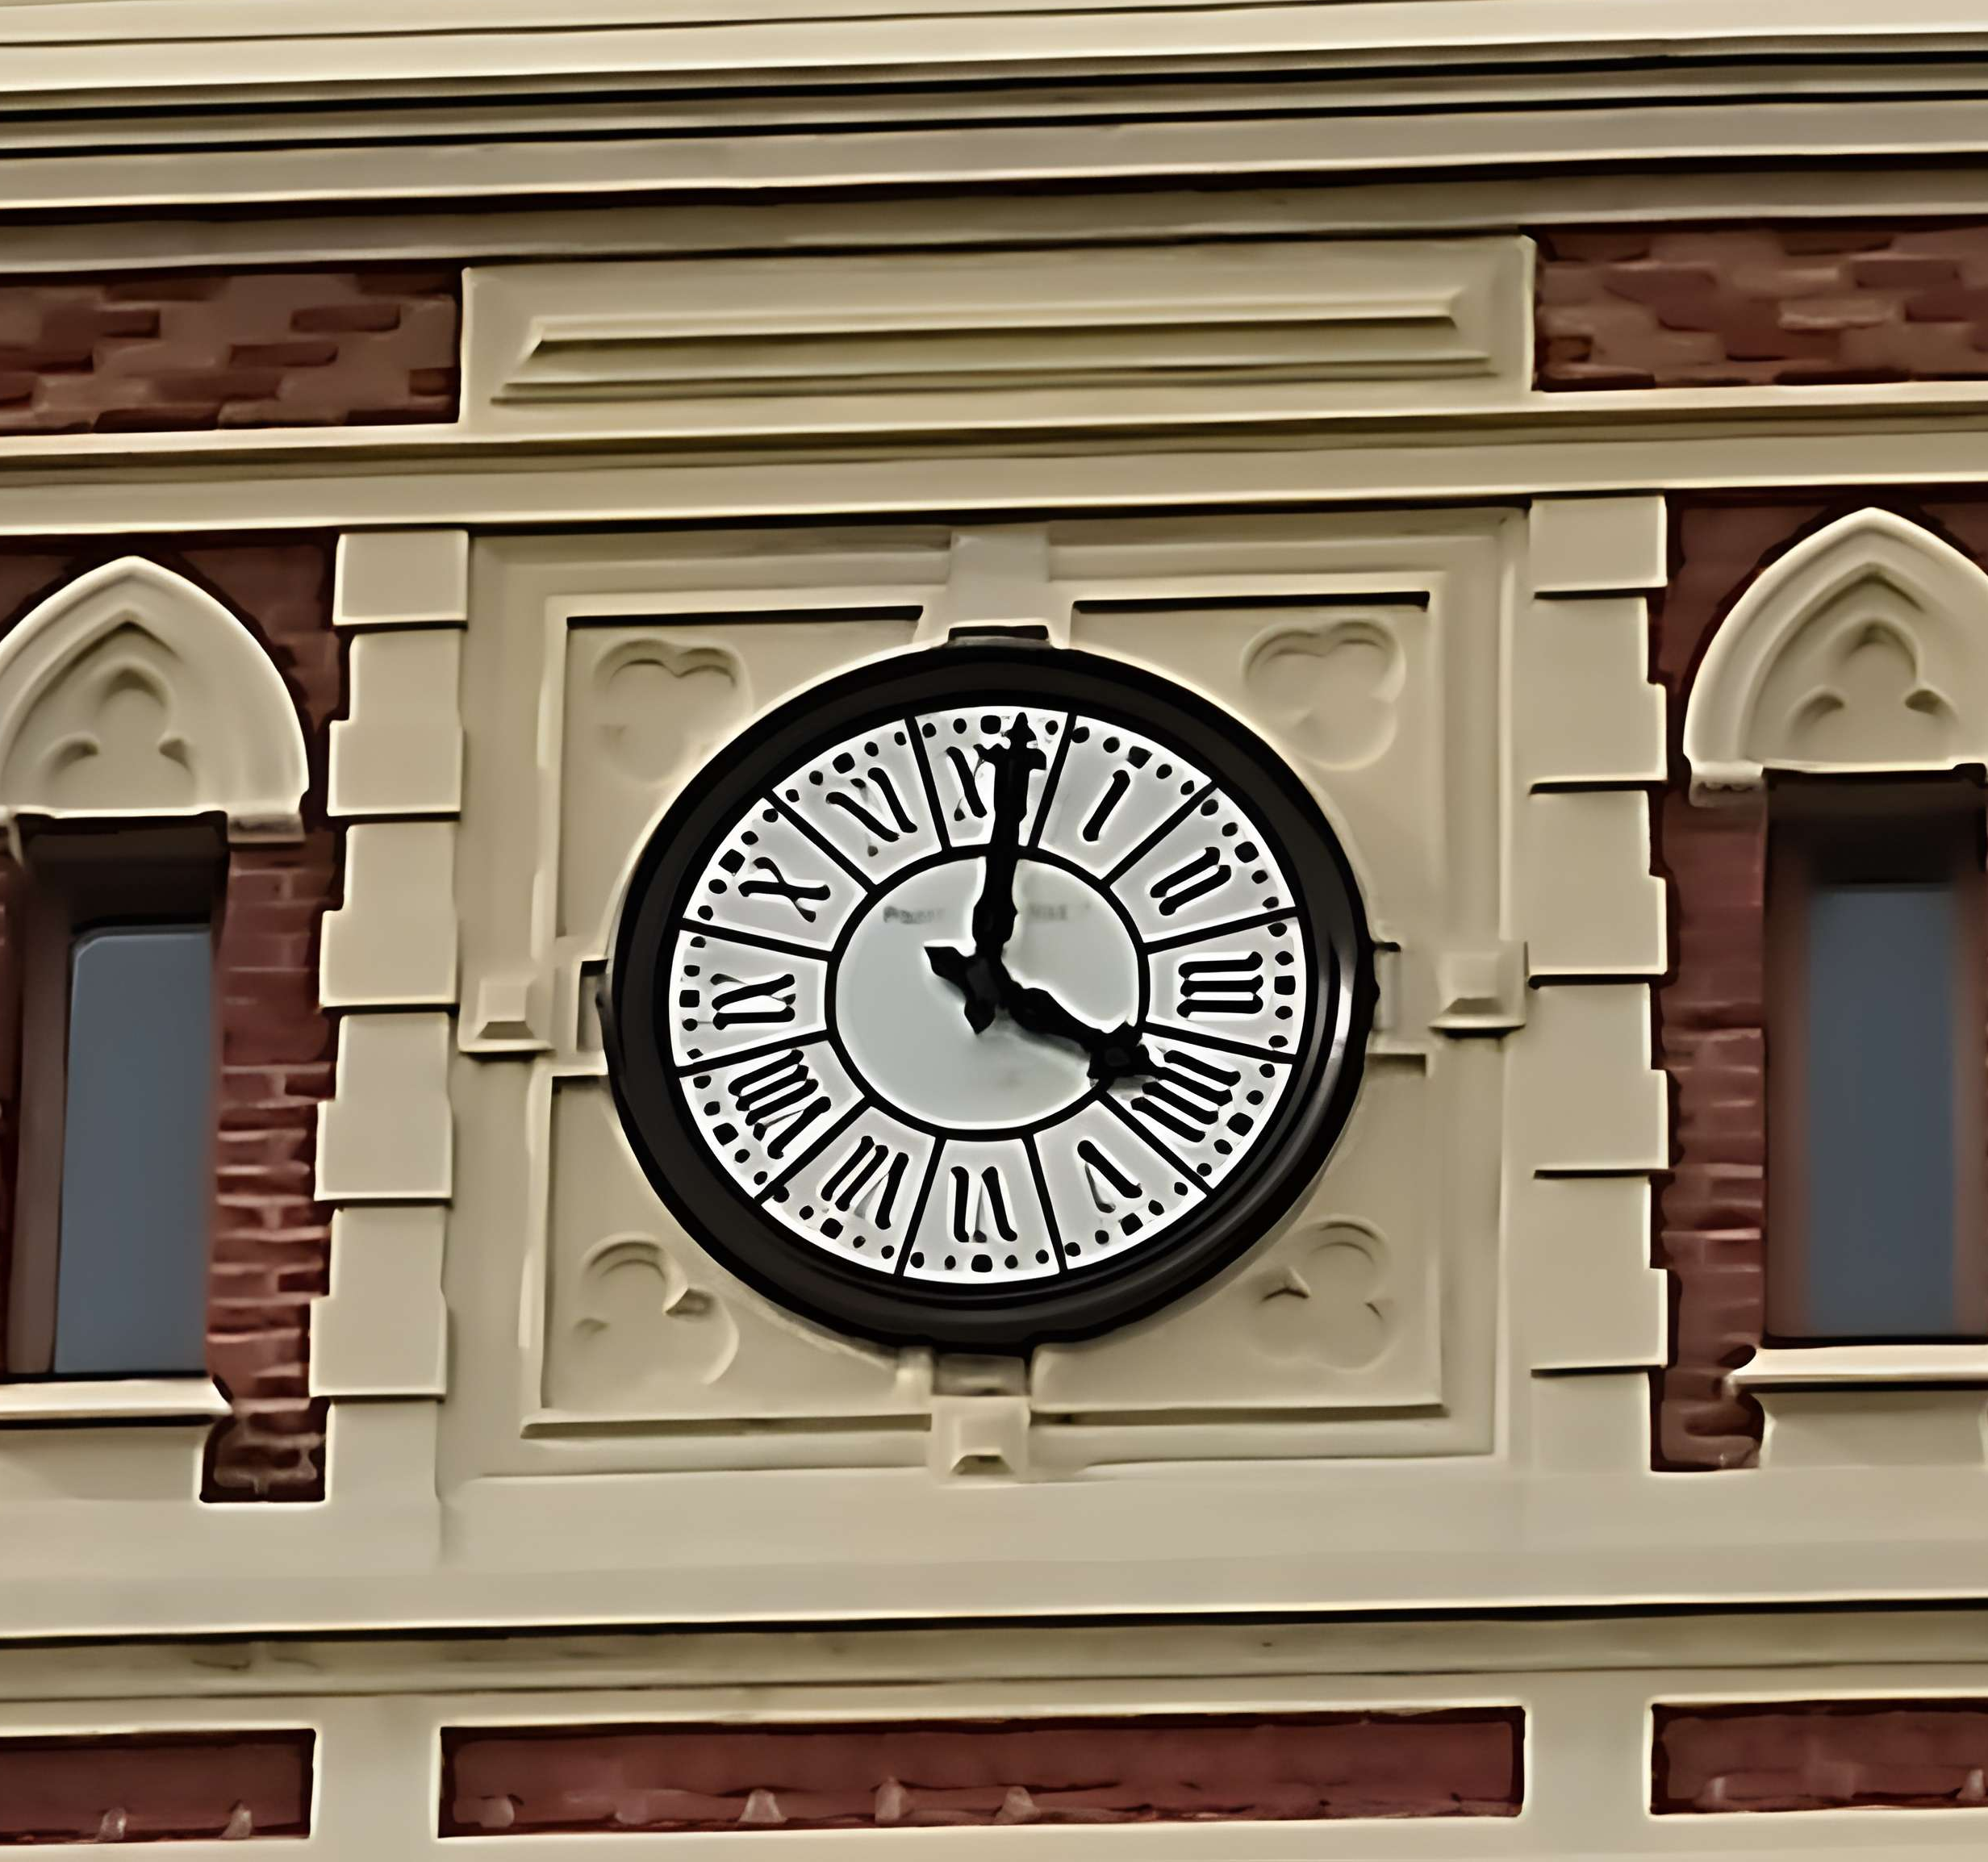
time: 4:01
